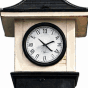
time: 2:22
